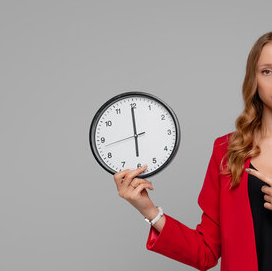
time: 5:59
